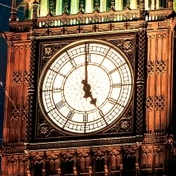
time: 4:59
